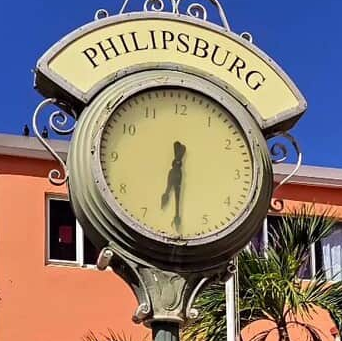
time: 6:29
